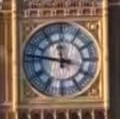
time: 11:46
